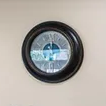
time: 11:44
